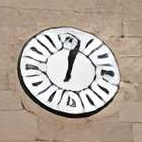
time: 12:02
